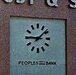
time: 9:08
